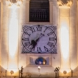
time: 7:34
